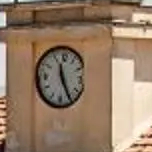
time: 11:25
